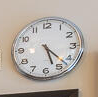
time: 5:22
